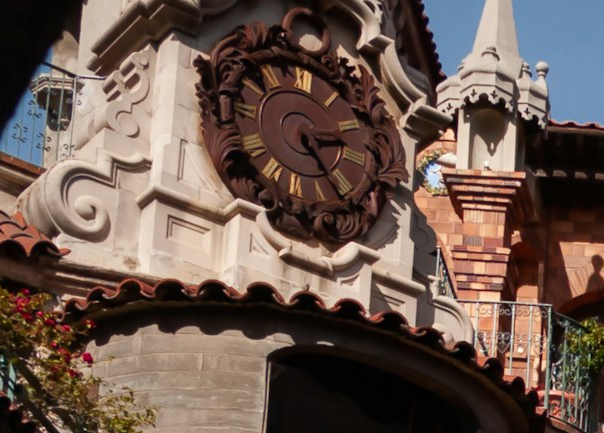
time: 2:24
